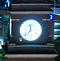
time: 11:38
